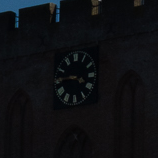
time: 3:45
